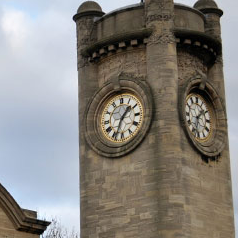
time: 1:33
